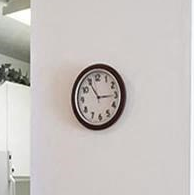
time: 2:54
